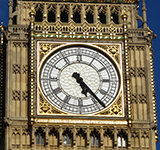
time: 5:23
